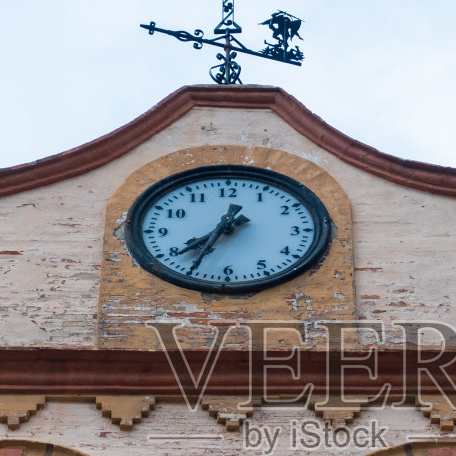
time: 7:34
